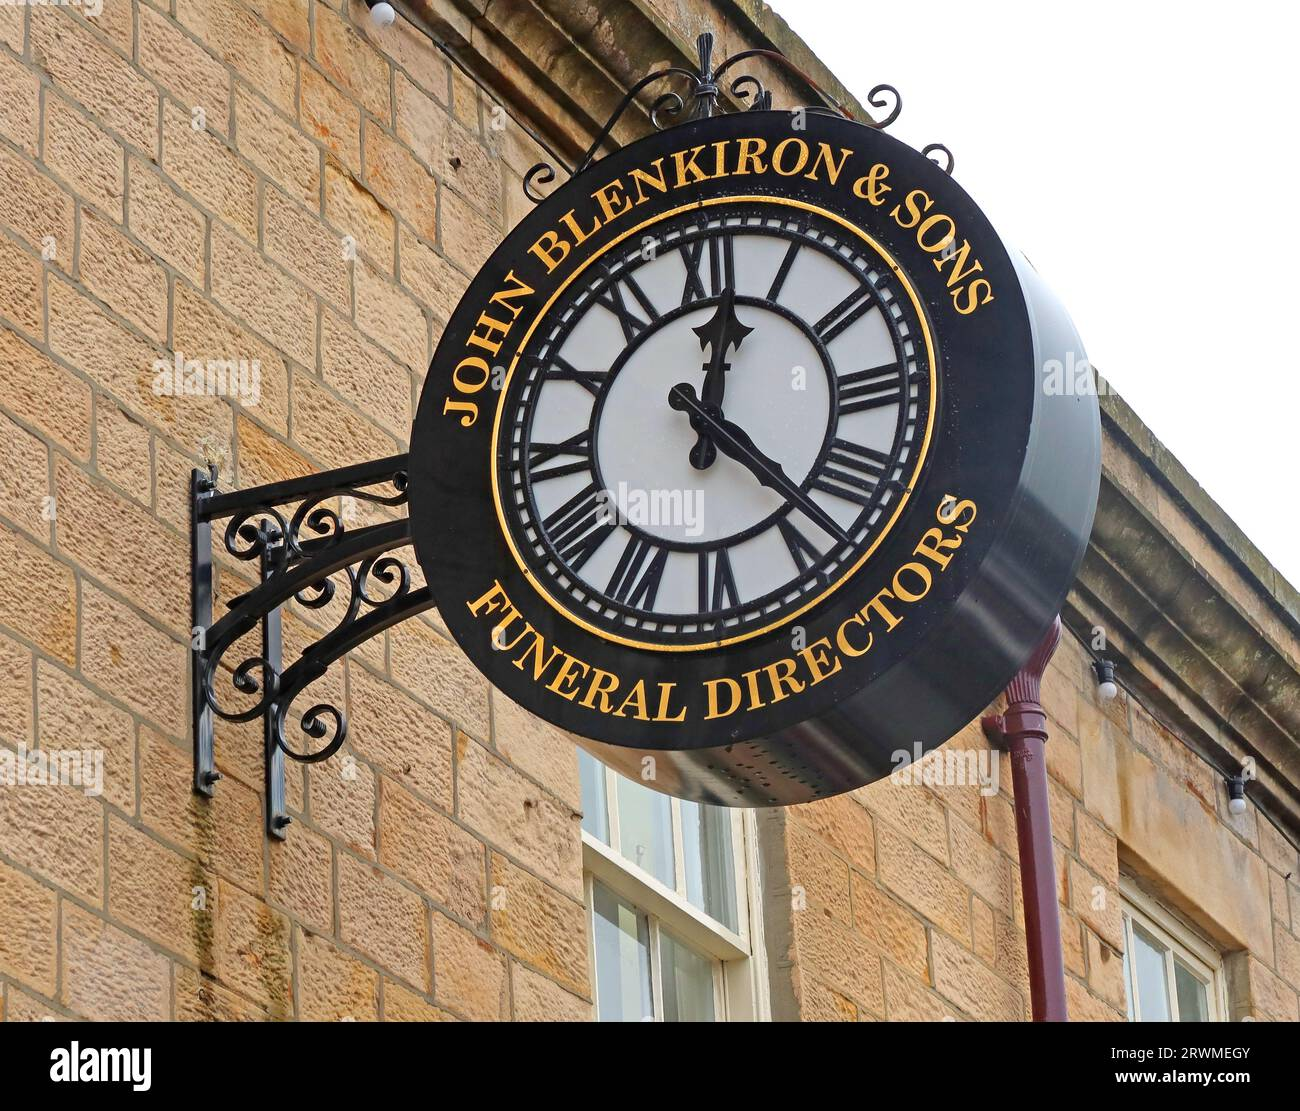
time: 12:22
